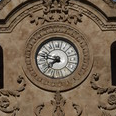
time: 7:47
